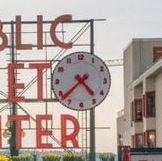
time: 4:38
